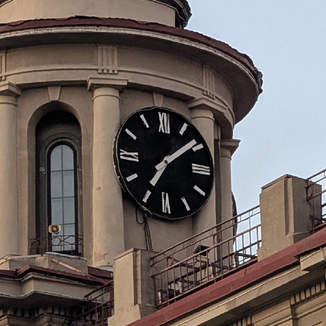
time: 7:08
